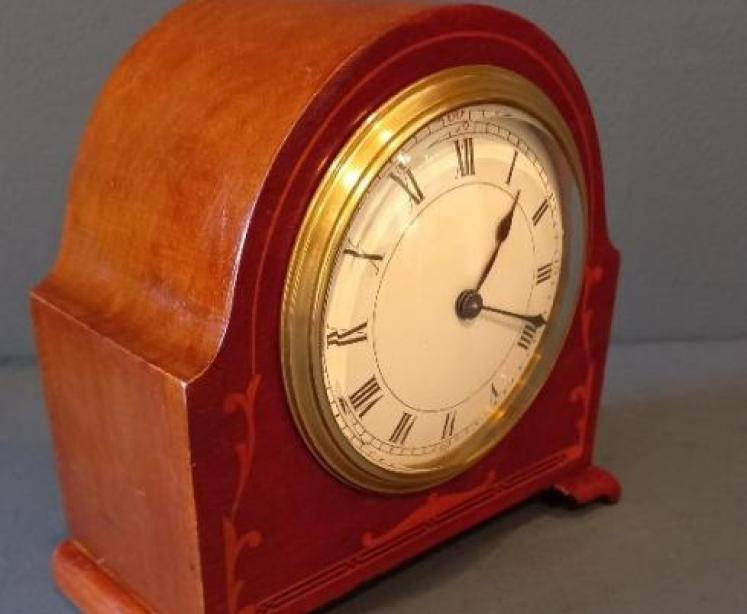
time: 1:18
